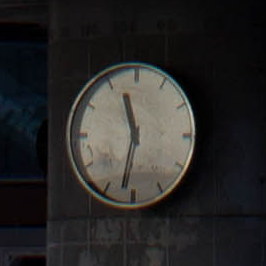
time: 11:32
